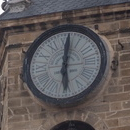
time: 6:01
